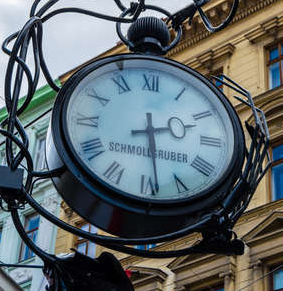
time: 2:28
